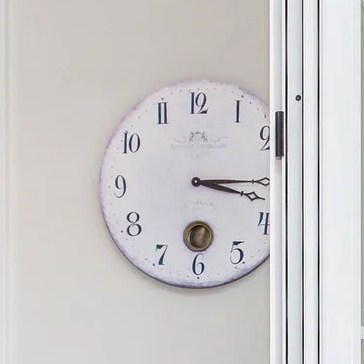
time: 3:18
